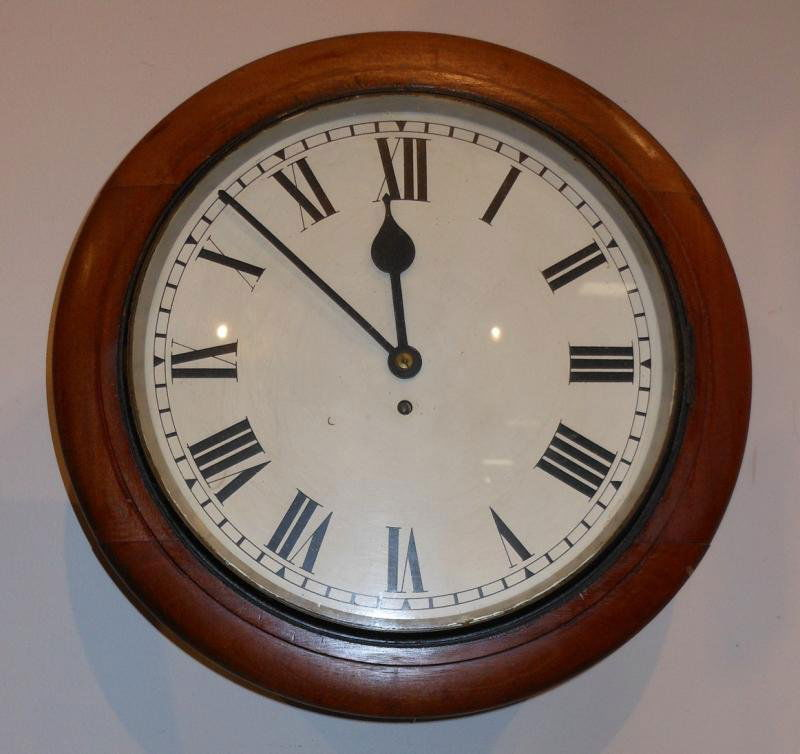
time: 11:51
